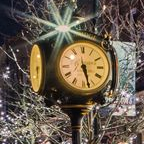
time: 5:27
